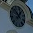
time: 11:07
